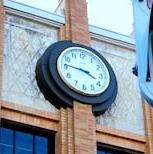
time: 3:46
